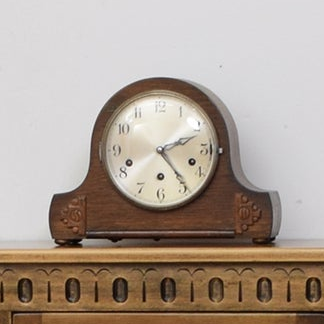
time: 2:24
